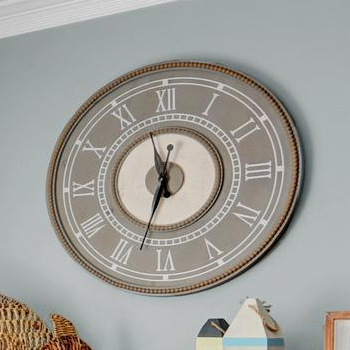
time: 11:33
